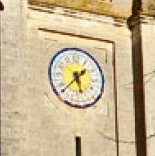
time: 5:38
